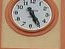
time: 5:24
